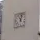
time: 11:02
